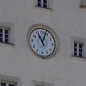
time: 11:03
